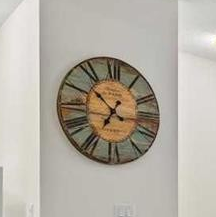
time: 6:52
